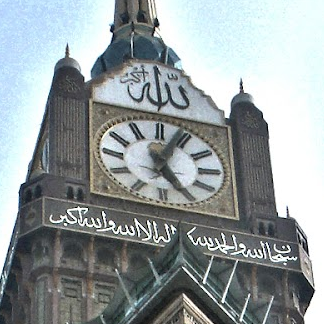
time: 5:03
